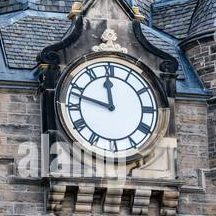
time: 11:47
